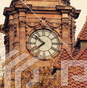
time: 7:51
